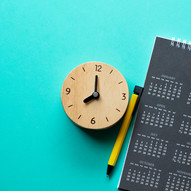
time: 7:59
